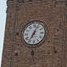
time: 7:04
